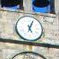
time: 5:03
